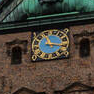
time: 11:16
